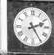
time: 2:24
